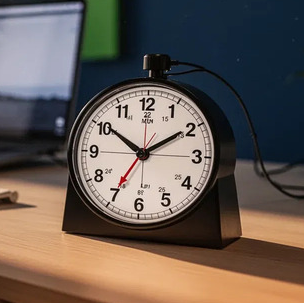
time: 1:50
